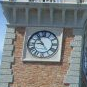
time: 8:53
